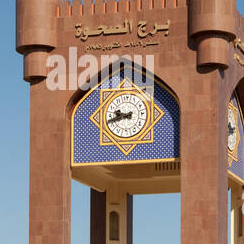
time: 9:42
